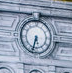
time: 5:33
